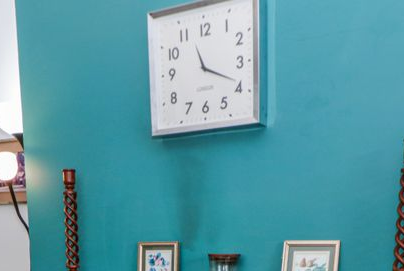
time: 11:19
